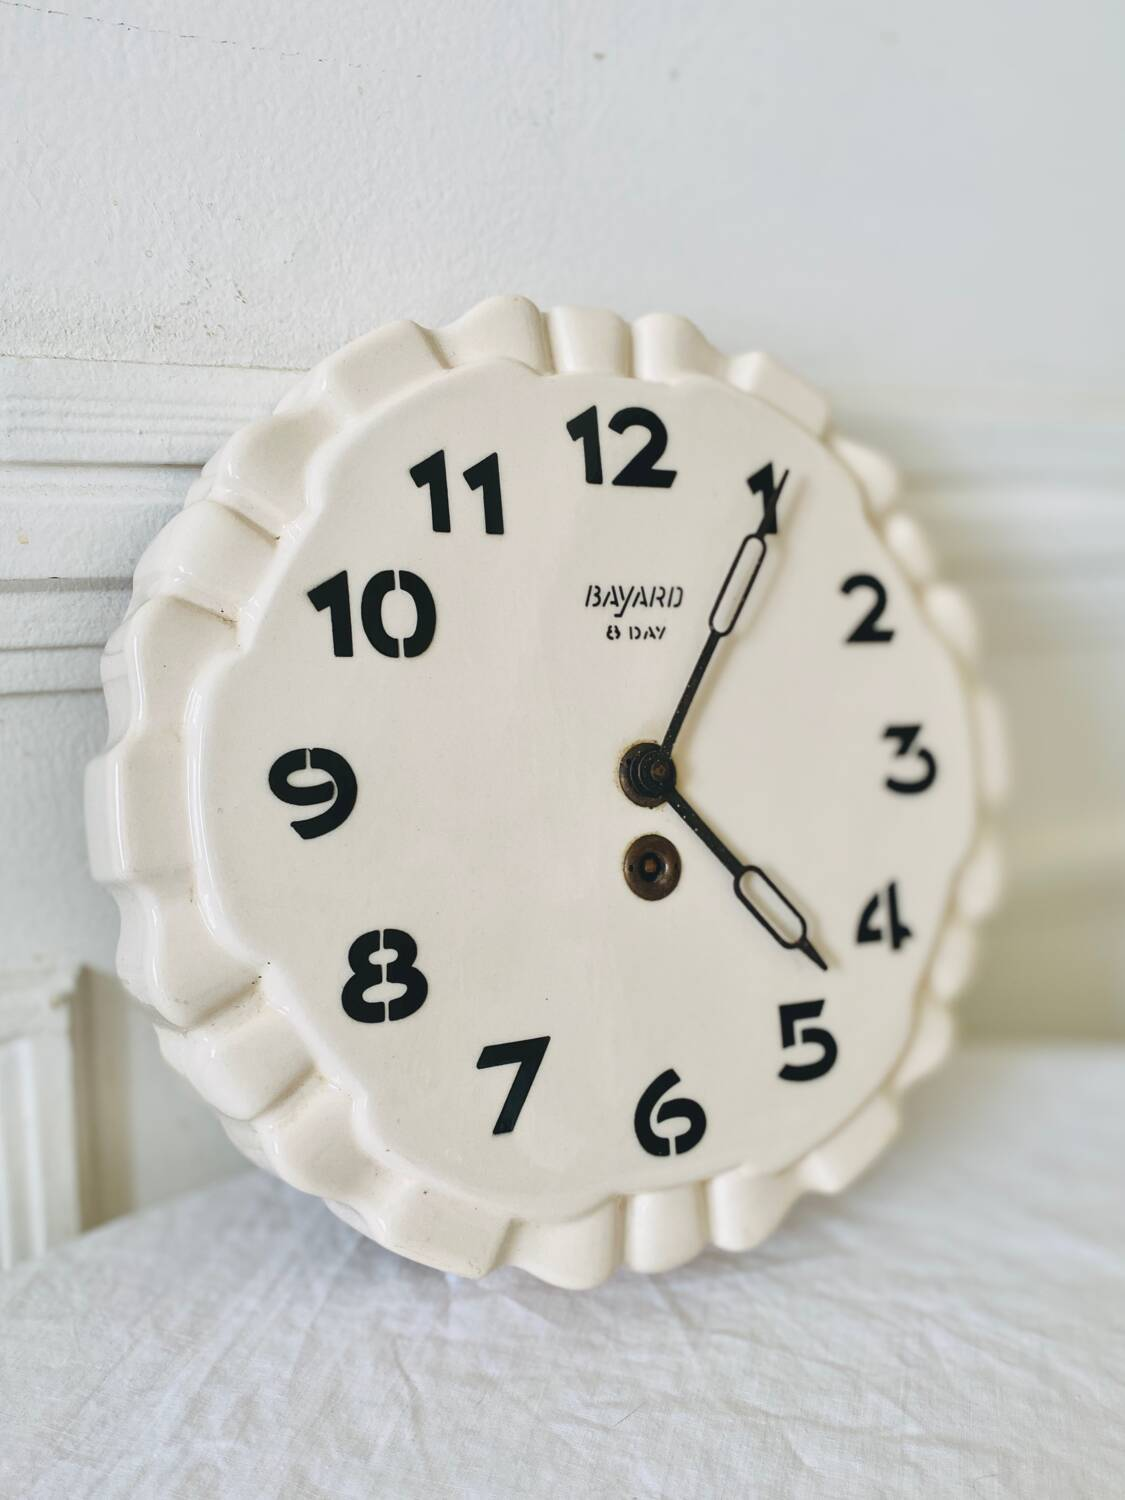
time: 4:05
